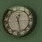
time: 12:27
